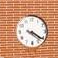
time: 4:21
